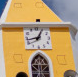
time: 12:43
